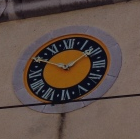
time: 1:49
